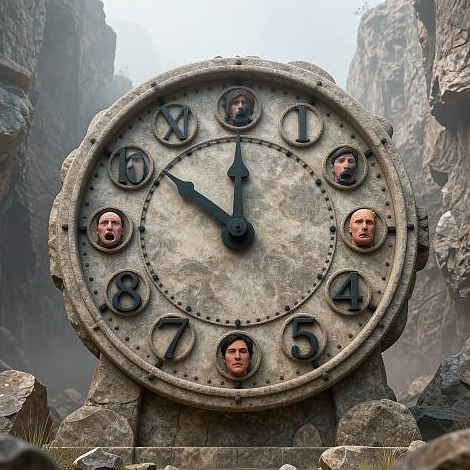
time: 11:51
